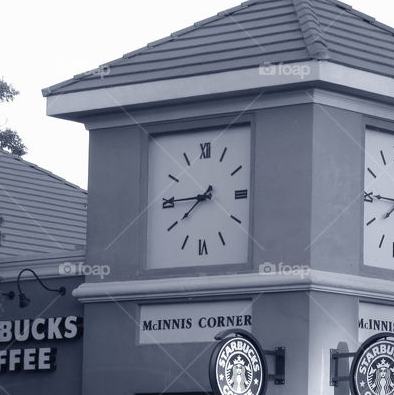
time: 7:44
